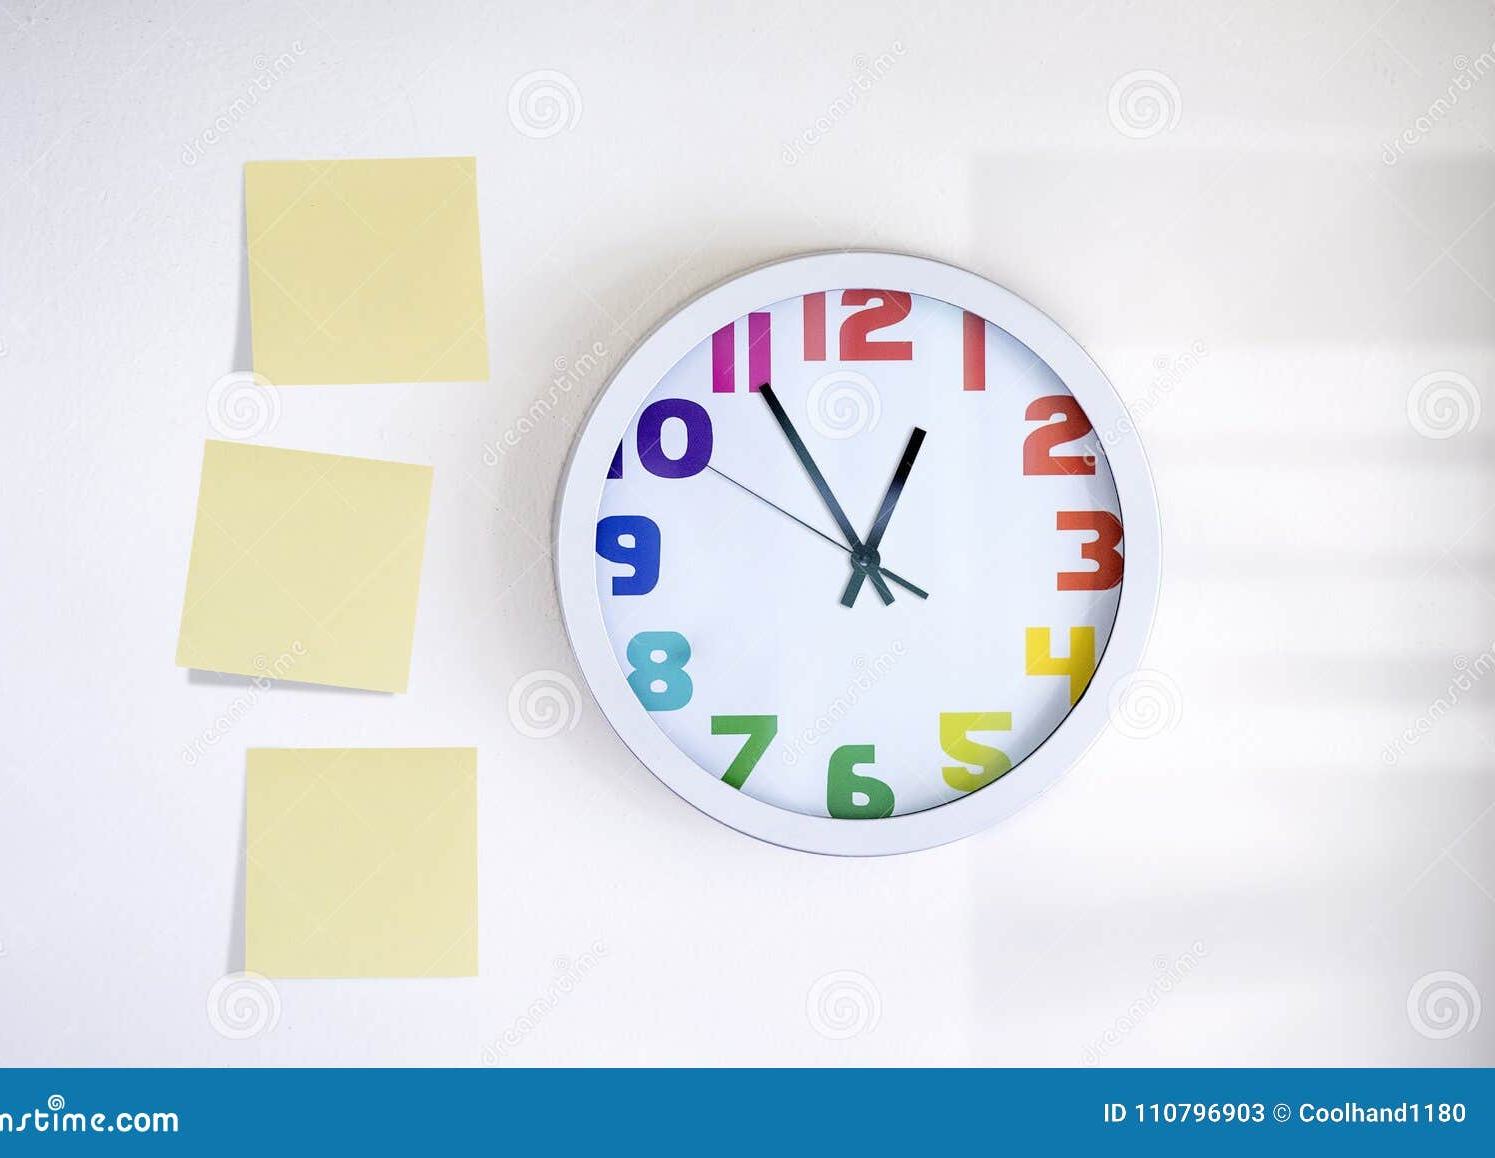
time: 12:54
